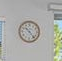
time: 10:23
